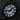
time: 1:46
